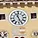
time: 11:25
